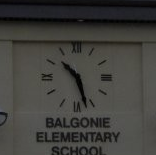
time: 10:27
